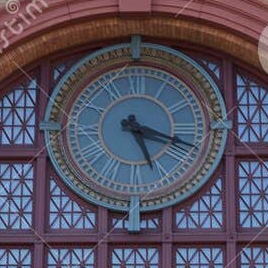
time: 5:18
